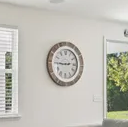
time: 2:45
